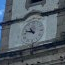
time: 10:47
